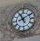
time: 11:09
